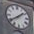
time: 1:39
